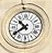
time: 10:39
